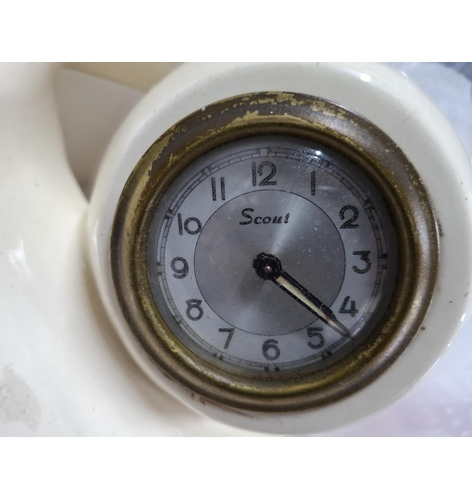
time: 4:22
